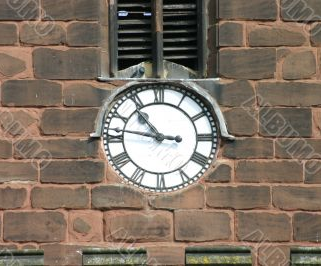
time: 10:46
